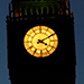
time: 4:10
